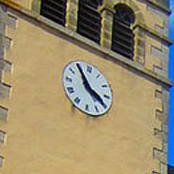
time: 3:54
